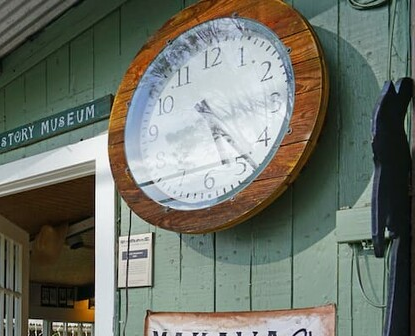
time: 5:23
